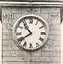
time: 10:39
